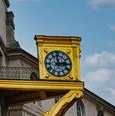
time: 2:59
